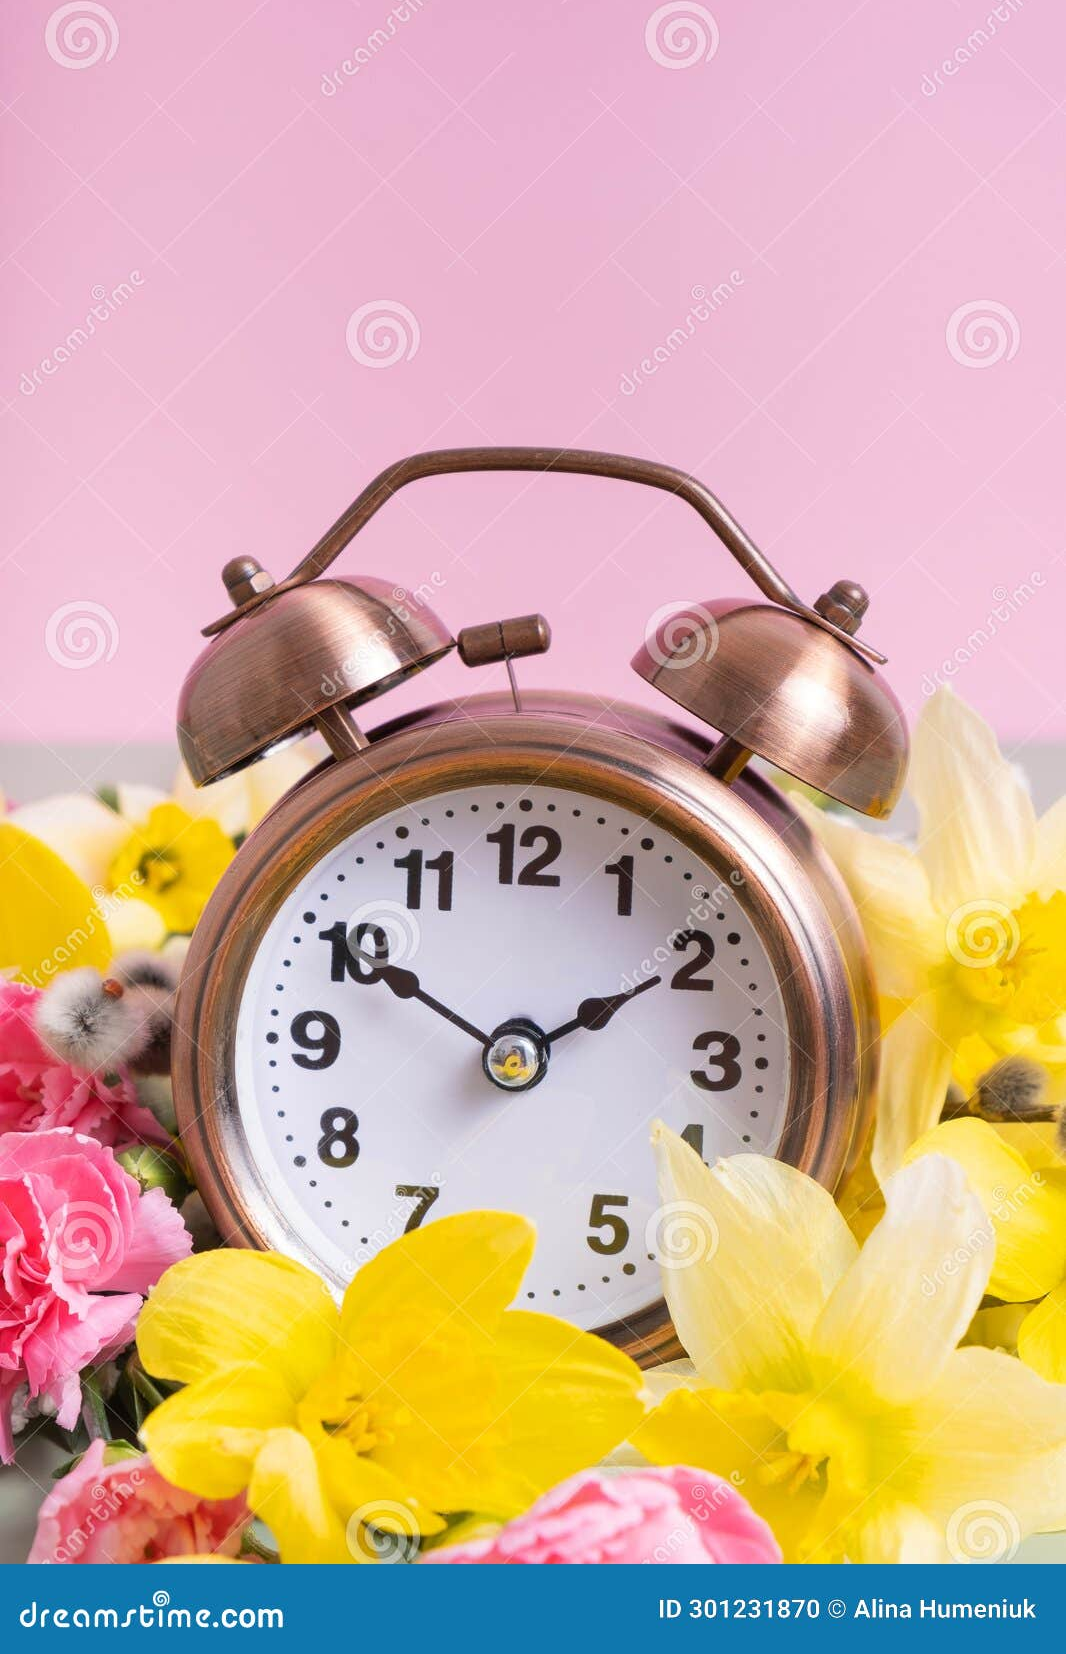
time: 1:50
